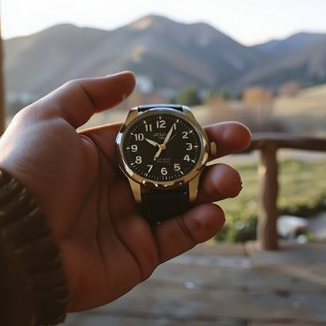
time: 10:04
